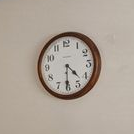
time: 4:30
